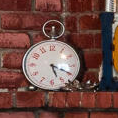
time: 5:19
